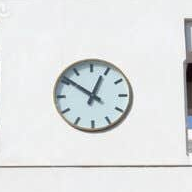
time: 12:51
